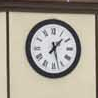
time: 1:27
